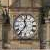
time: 11:36
